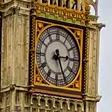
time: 5:14
